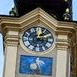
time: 1:16
